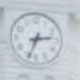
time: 2:33
